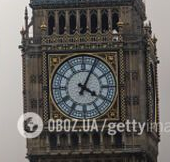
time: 4:04
